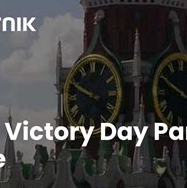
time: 9:49
